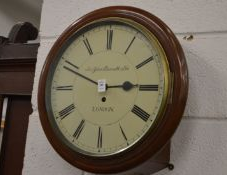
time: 2:48
